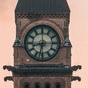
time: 8:32
